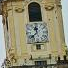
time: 11:37
